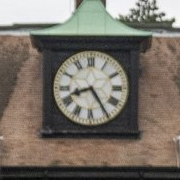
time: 8:24
